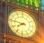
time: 7:46
